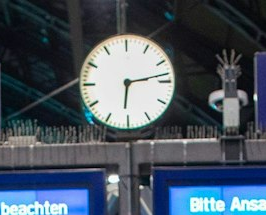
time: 6:13
